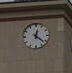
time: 12:21
